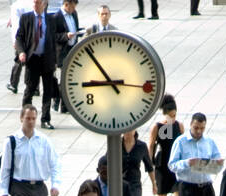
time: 8:54
